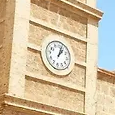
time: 1:02
